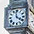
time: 3:58
